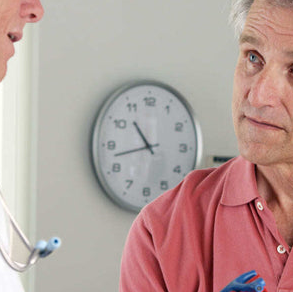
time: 10:42
